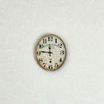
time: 11:46
